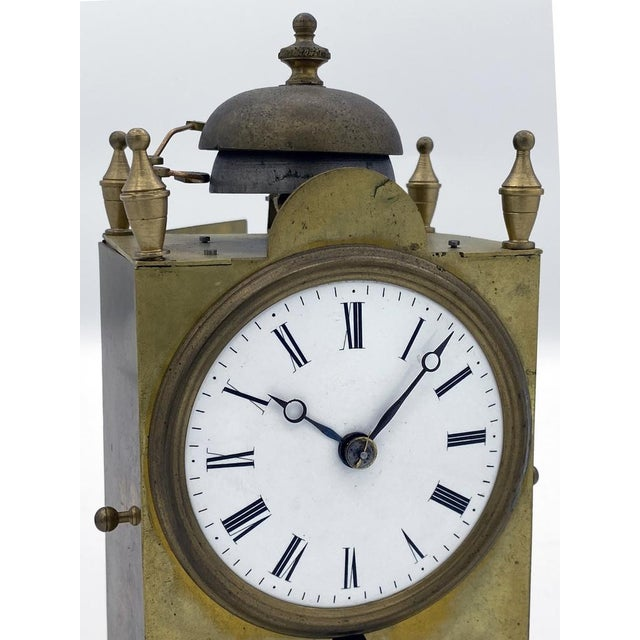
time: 10:07
